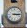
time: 3:14
